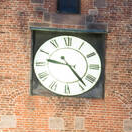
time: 9:23
